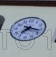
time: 7:17
